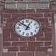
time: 12:52
